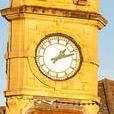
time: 1:11
